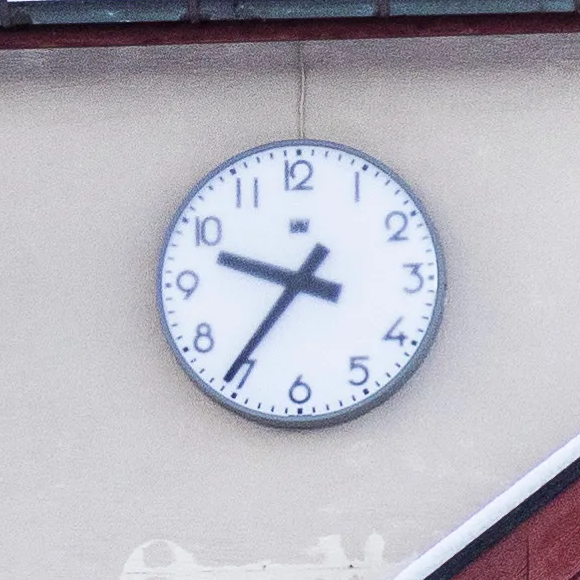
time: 9:36
